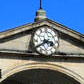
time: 3:40
